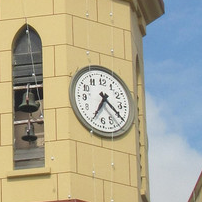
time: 4:34
